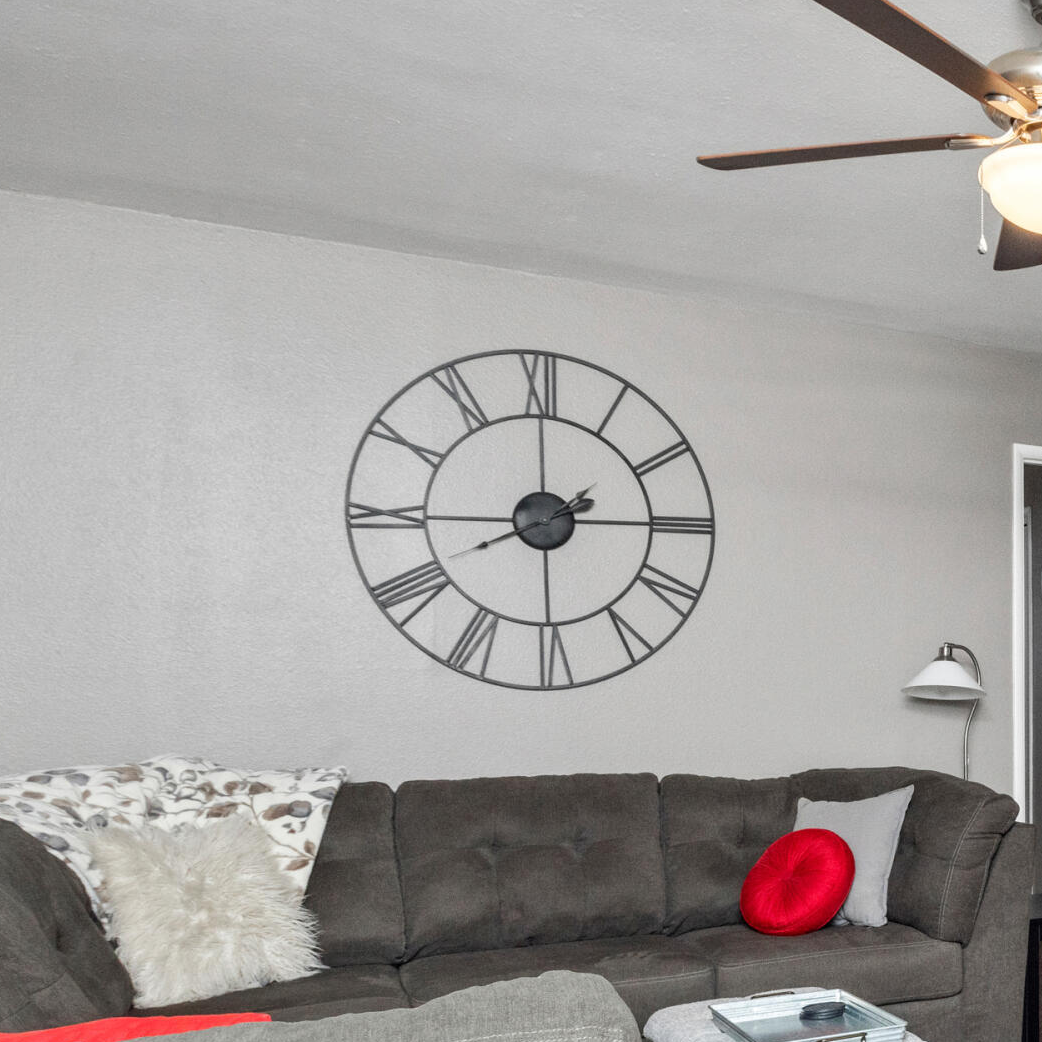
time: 2:00
